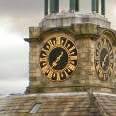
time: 1:36
